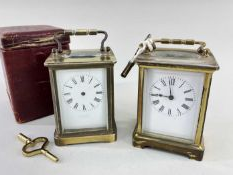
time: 11:45
